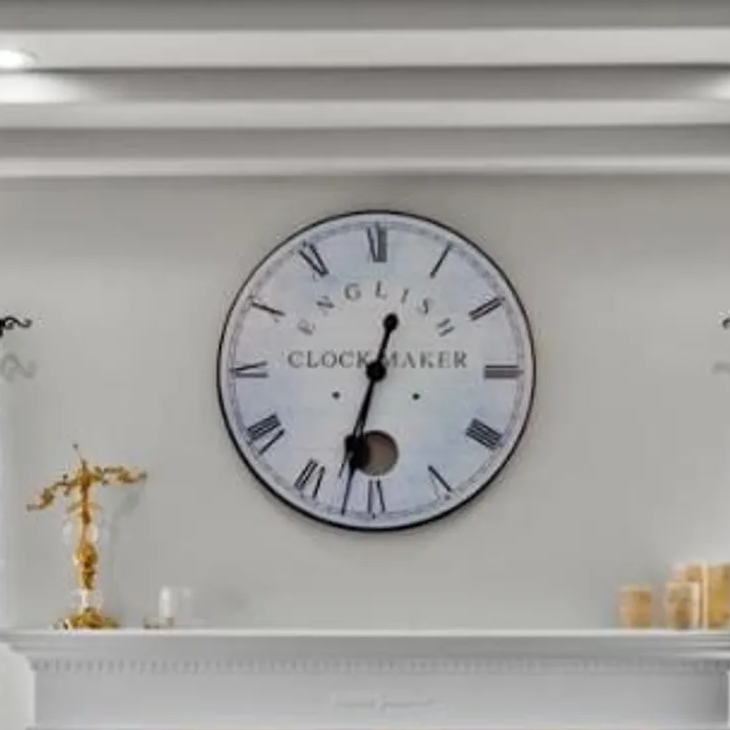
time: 12:32
